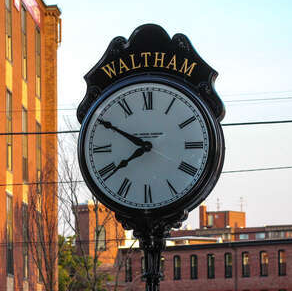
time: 7:49
